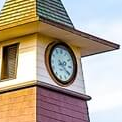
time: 2:20
